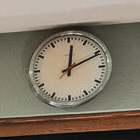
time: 12:10
